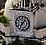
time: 7:07
